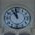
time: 10:58
